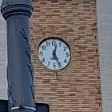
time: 12:26
